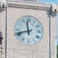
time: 11:41
